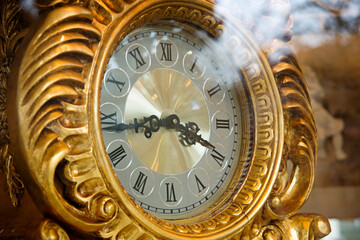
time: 3:43
